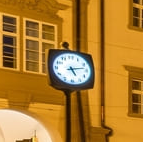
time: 5:12
